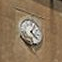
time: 4:04
